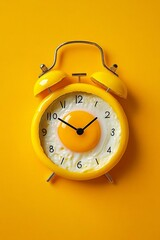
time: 1:50
